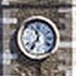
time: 11:35
